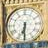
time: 6:30
